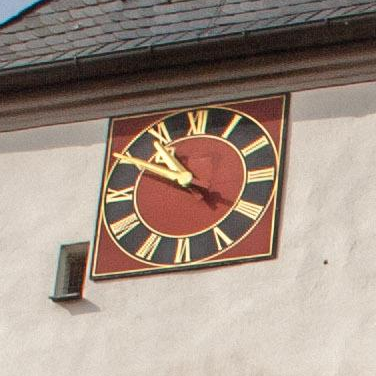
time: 10:50
